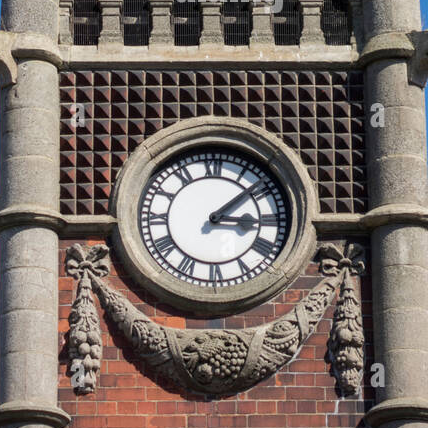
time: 3:08
